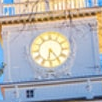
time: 6:23
